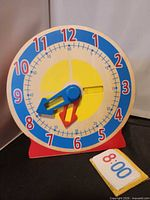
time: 8:00
